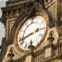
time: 2:42
